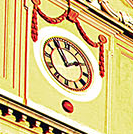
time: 1:54
